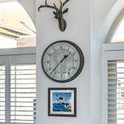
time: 1:37
